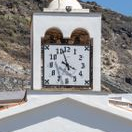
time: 3:57
